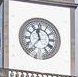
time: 11:36
